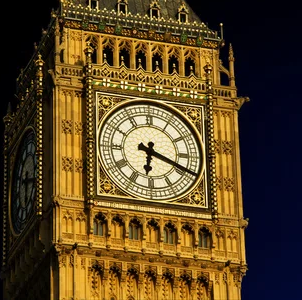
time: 6:18
